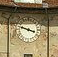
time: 3:47
